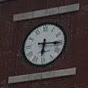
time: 6:15
